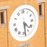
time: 4:28
